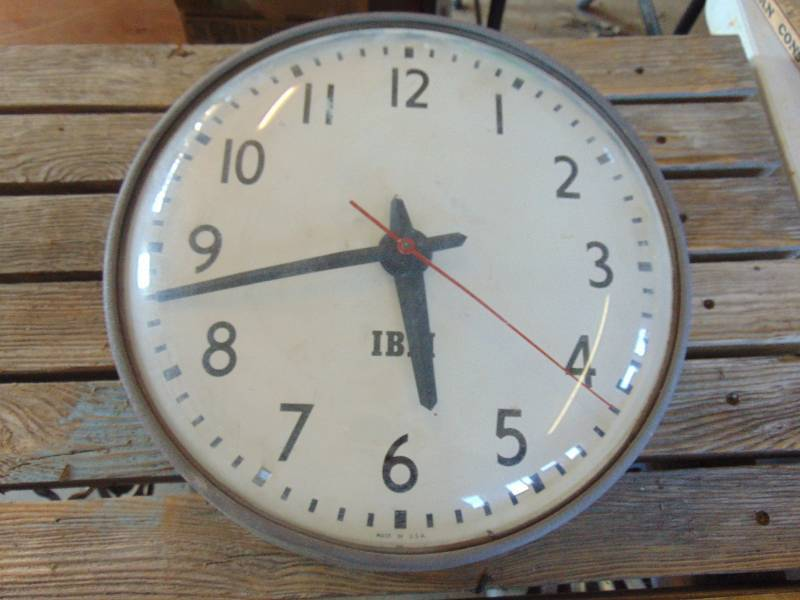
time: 5:42
